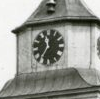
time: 11:35
